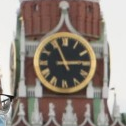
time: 2:56
